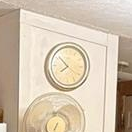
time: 7:52
